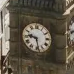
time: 9:28
